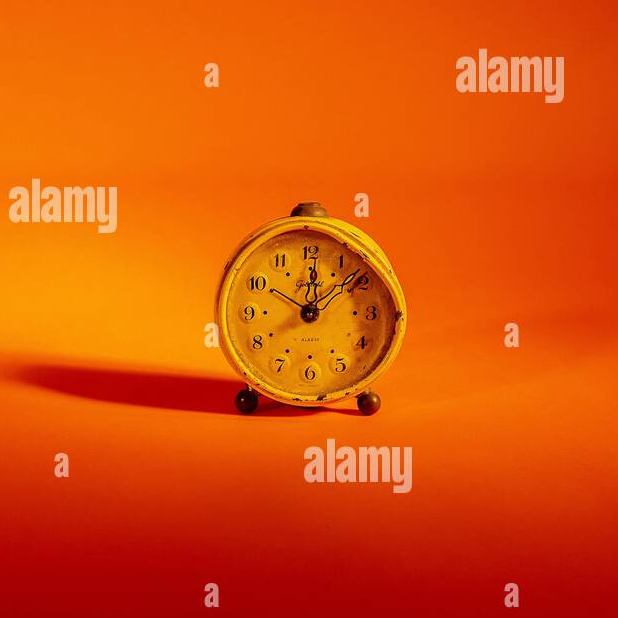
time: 12:07
